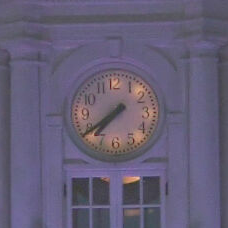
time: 7:39
